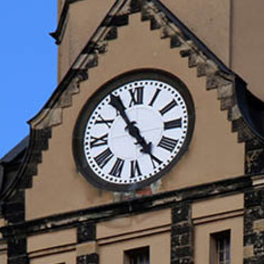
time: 4:54
